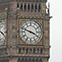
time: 3:48
